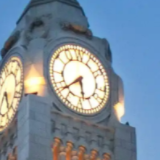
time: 5:38
